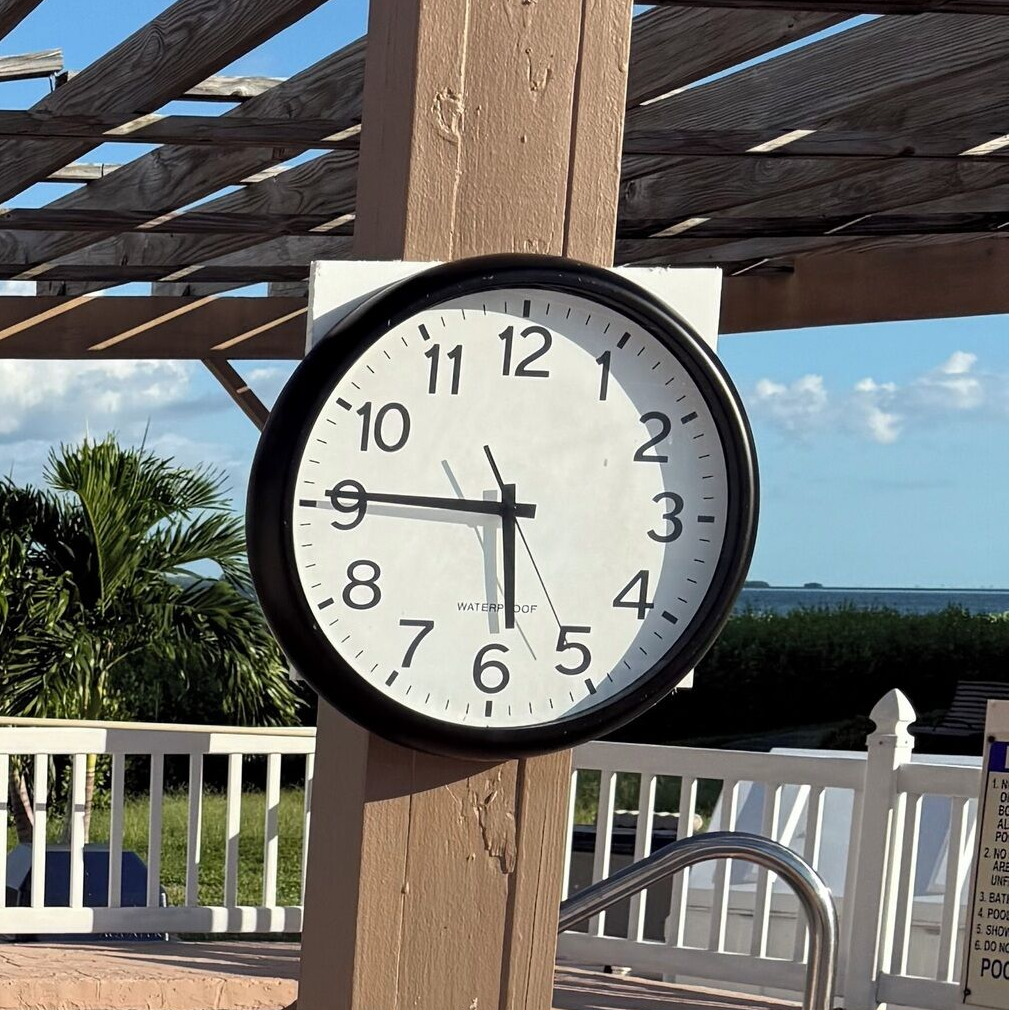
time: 5:45
